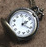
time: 2:21
